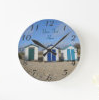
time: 10:07
